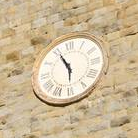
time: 5:55
